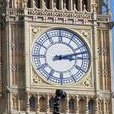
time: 3:12
